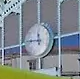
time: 11:43
